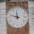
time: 11:47
